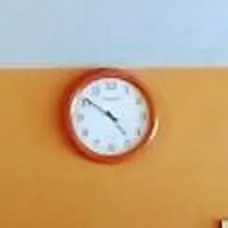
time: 4:51
